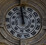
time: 11:59
